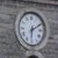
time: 6:10
